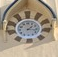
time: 1:16
